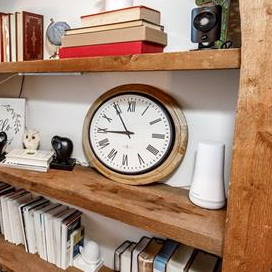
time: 8:54
